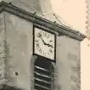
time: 2:52
